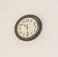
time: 10:29
